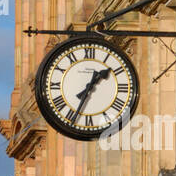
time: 1:34
